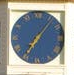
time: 7:06
